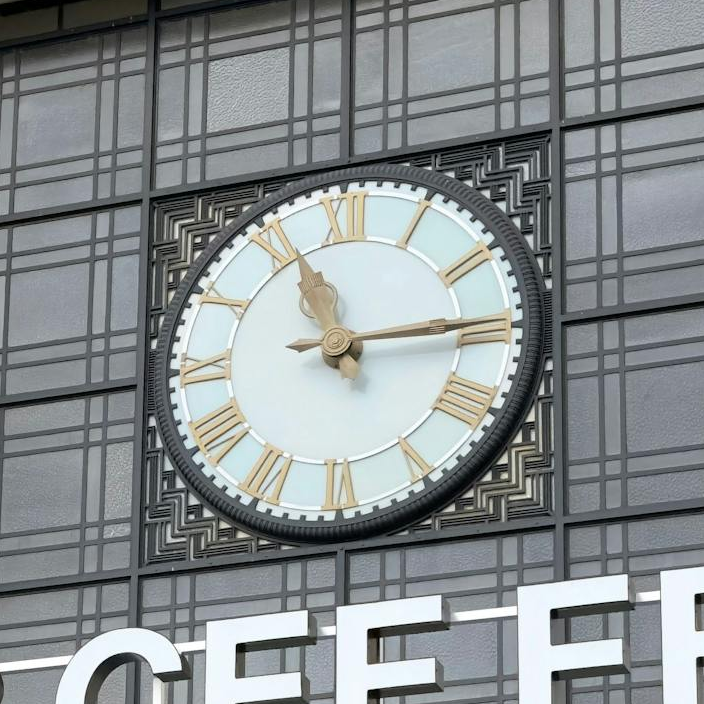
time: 11:14
